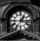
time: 1:16
